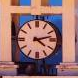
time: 4:12
